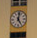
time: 5:01
